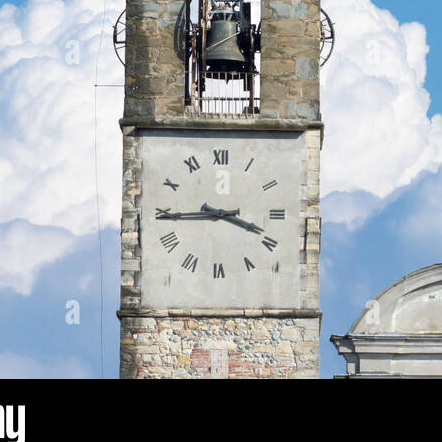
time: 3:44
